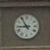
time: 8:54
